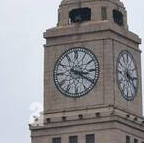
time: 3:20
